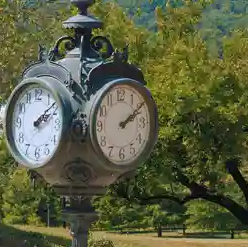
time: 2:09
